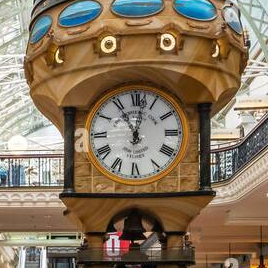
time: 11:01
